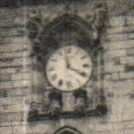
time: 11:19
